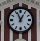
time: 12:56
